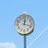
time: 12:18
